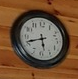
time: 5:41
